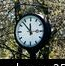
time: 11:52
